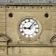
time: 9:07
